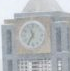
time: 11:35
